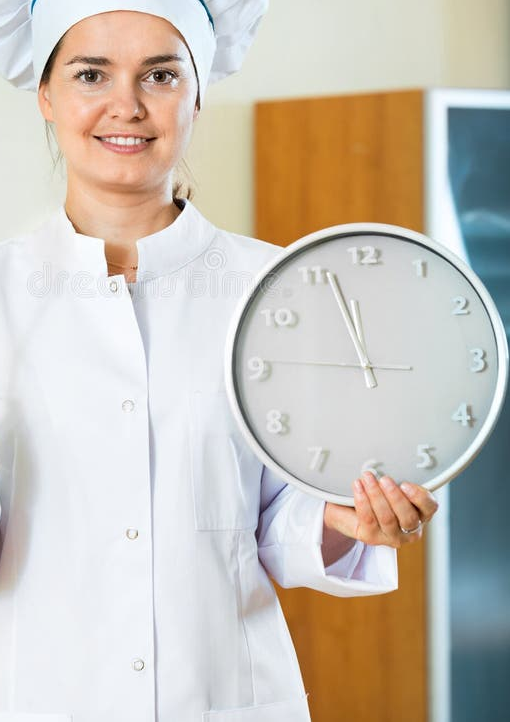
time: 11:56
